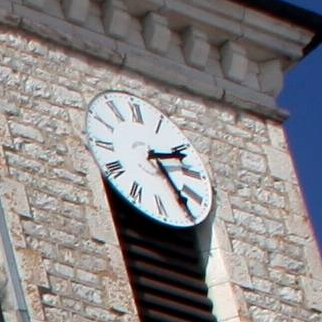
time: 2:24
